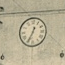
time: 12:34
